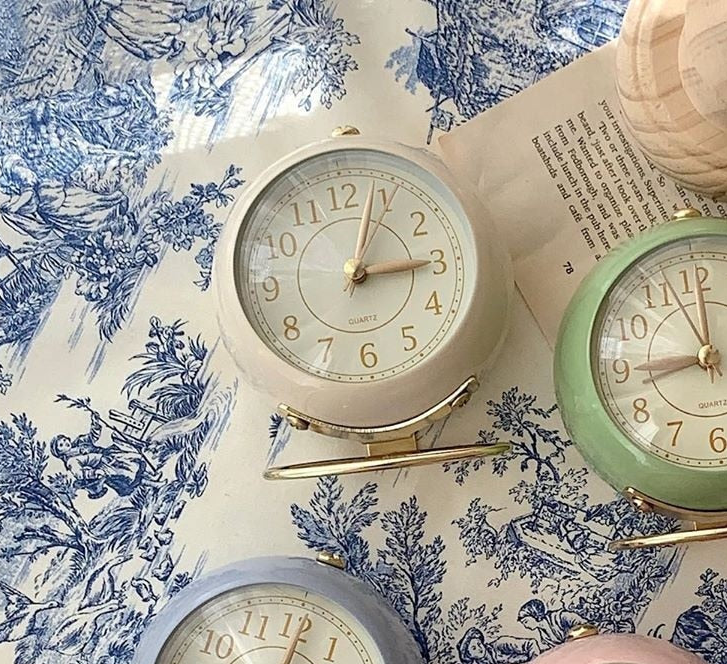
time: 3:03
